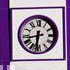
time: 8:31
